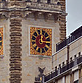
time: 12:14
